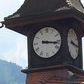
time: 9:16
